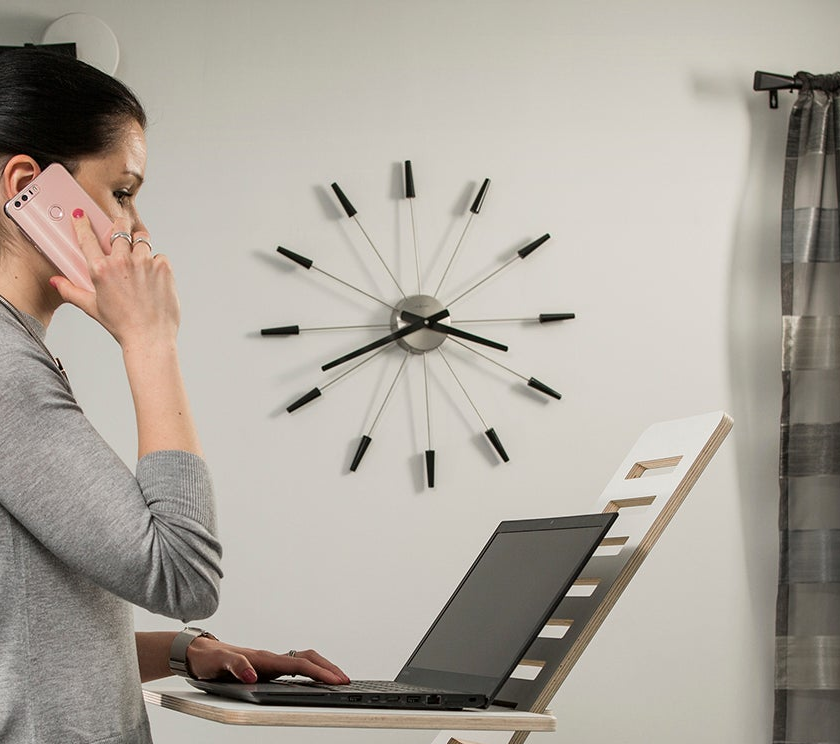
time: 3:41
